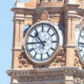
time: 10:45
